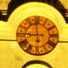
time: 8:58
